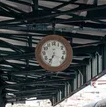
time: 6:34
